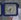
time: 7:32
